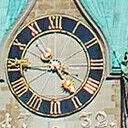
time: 4:45
